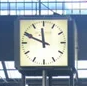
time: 11:49
